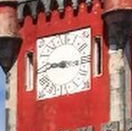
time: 8:15
